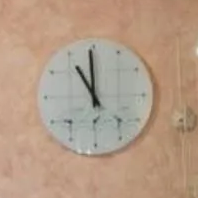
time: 10:59
